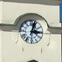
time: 3:03
